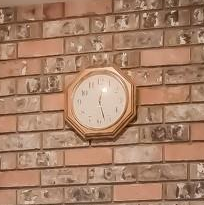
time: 12:27
